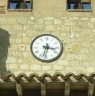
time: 3:32
